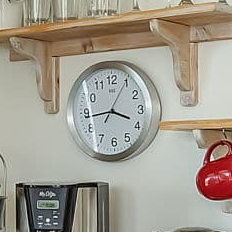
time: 3:43
